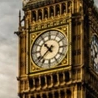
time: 10:38
